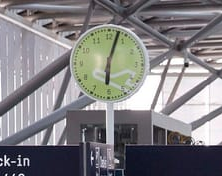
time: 6:02
